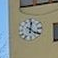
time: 12:21
